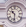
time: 10:31
